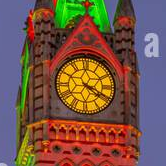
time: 4:19
